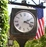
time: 2:18
